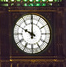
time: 10:00
